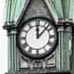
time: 12:07
